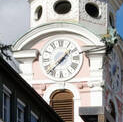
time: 1:37
